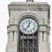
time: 12:36
